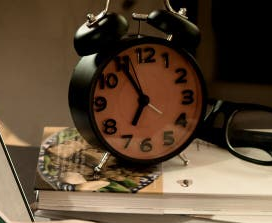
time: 6:54
